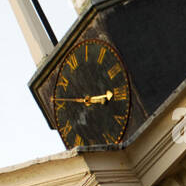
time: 2:46
